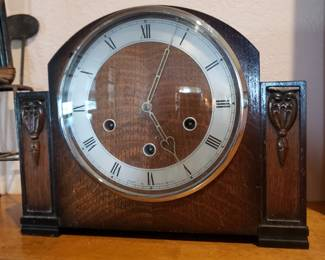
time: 5:03
